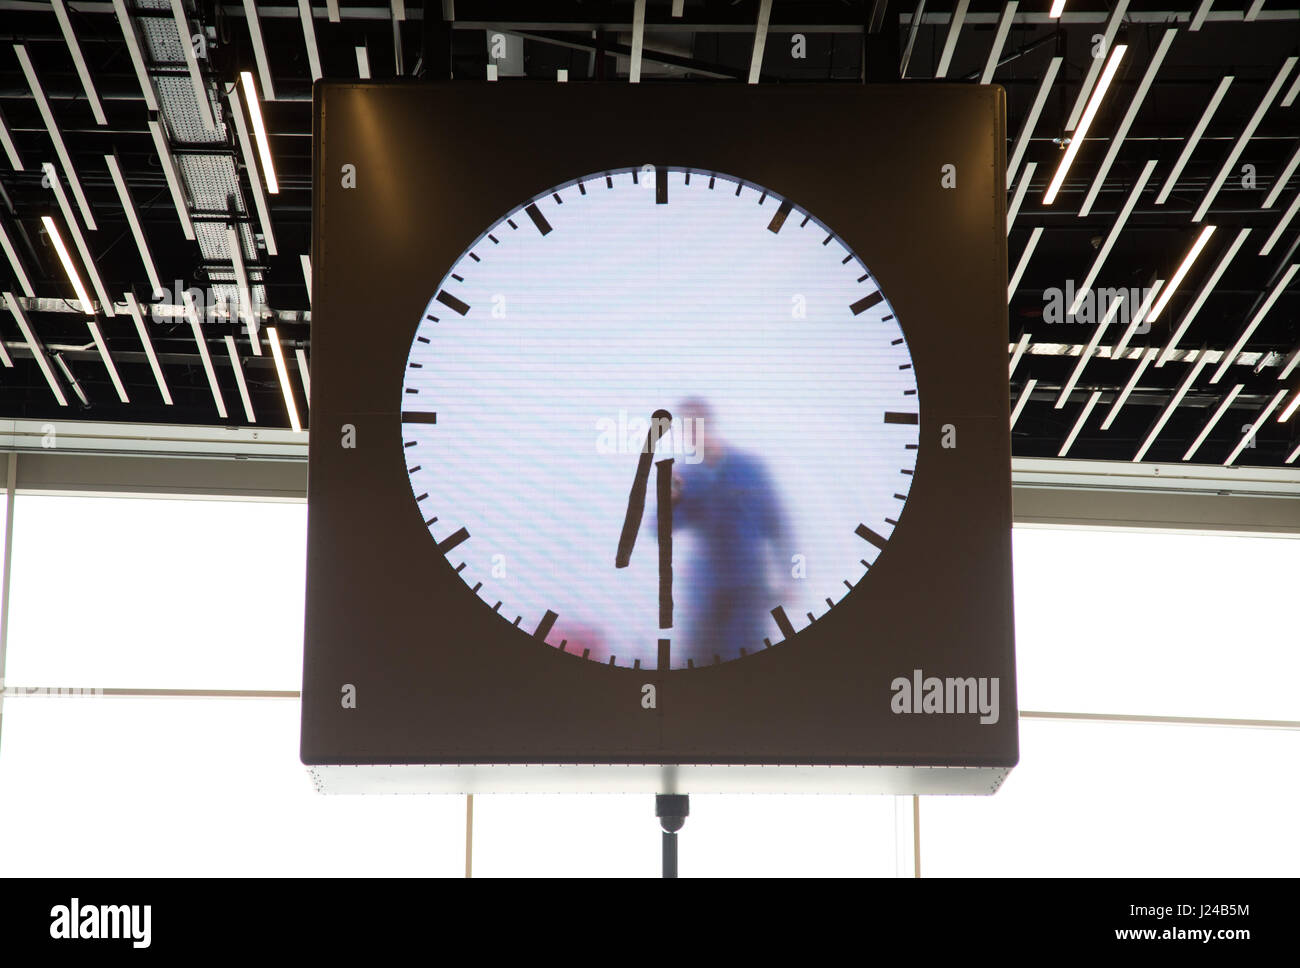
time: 6:29
